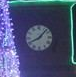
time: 8:07
